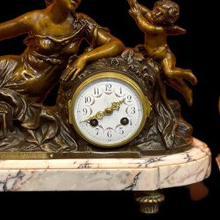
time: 1:41
